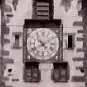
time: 10:40
